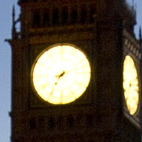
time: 7:12
